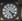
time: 4:23
